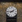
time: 1:45
